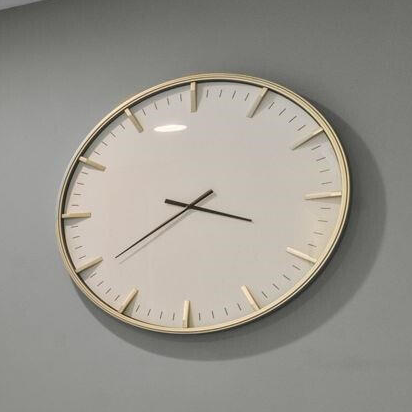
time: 3:39
